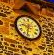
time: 9:32
